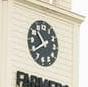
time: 10:39
